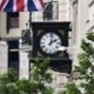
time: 2:02
